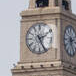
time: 2:25
